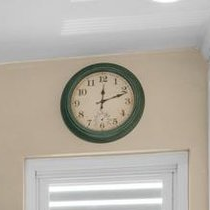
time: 12:11
